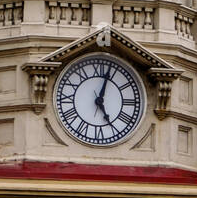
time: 5:03
